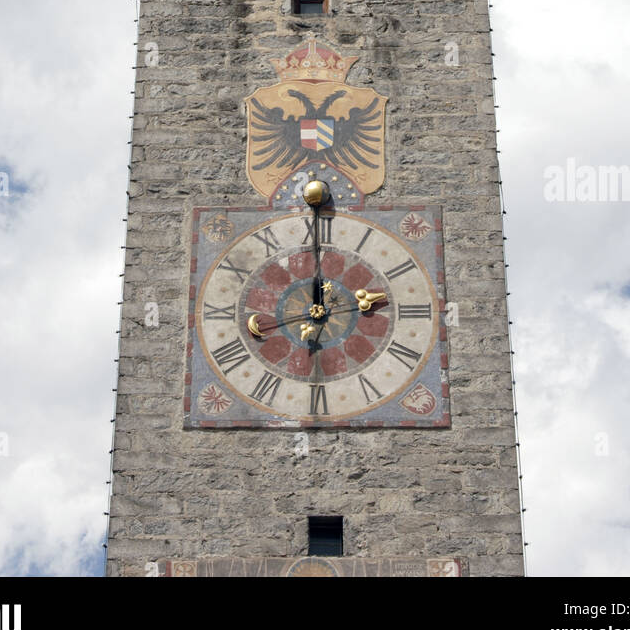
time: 12:00
